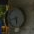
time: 5:42
